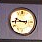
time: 9:45
